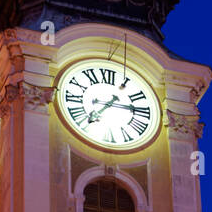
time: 7:14
